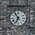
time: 6:54
